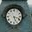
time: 5:18
